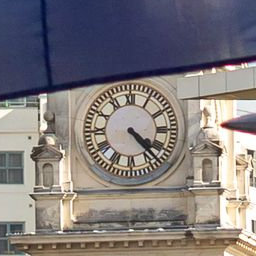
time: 4:23
